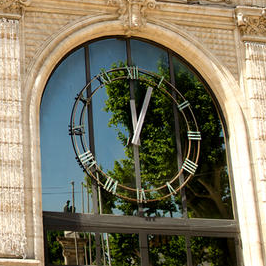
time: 12:04
